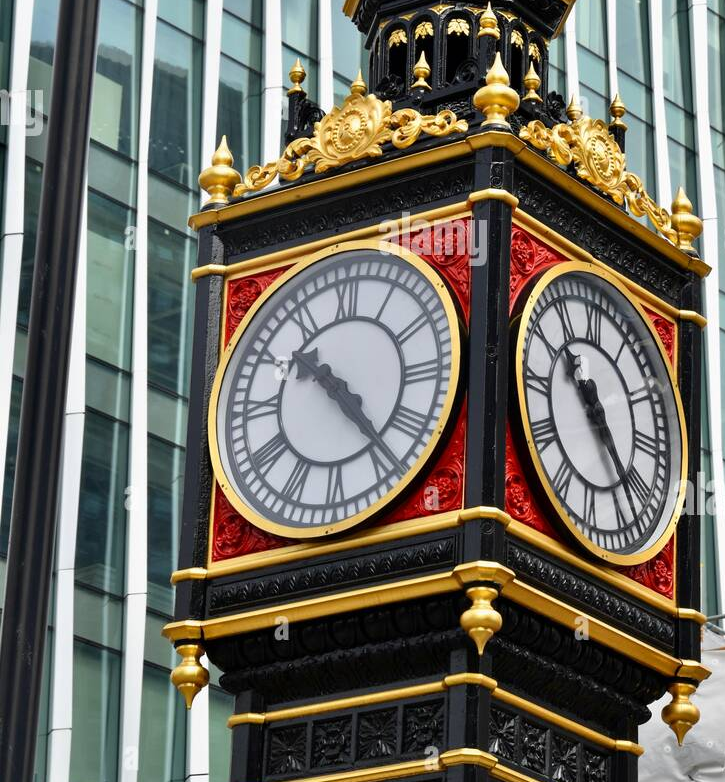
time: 10:23
